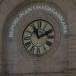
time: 11:10
